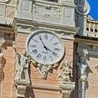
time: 3:54
